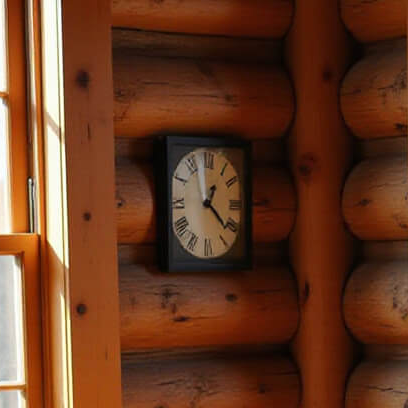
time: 1:21
